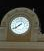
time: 7:39
